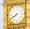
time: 7:40
